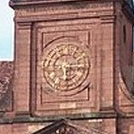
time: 6:14
